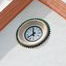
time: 7:59
